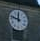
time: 11:47
